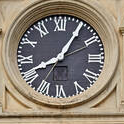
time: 8:05
